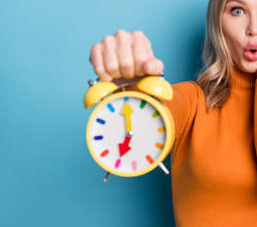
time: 7:00
